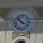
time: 3:52
